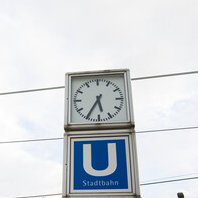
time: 5:35
